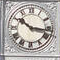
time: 10:16
